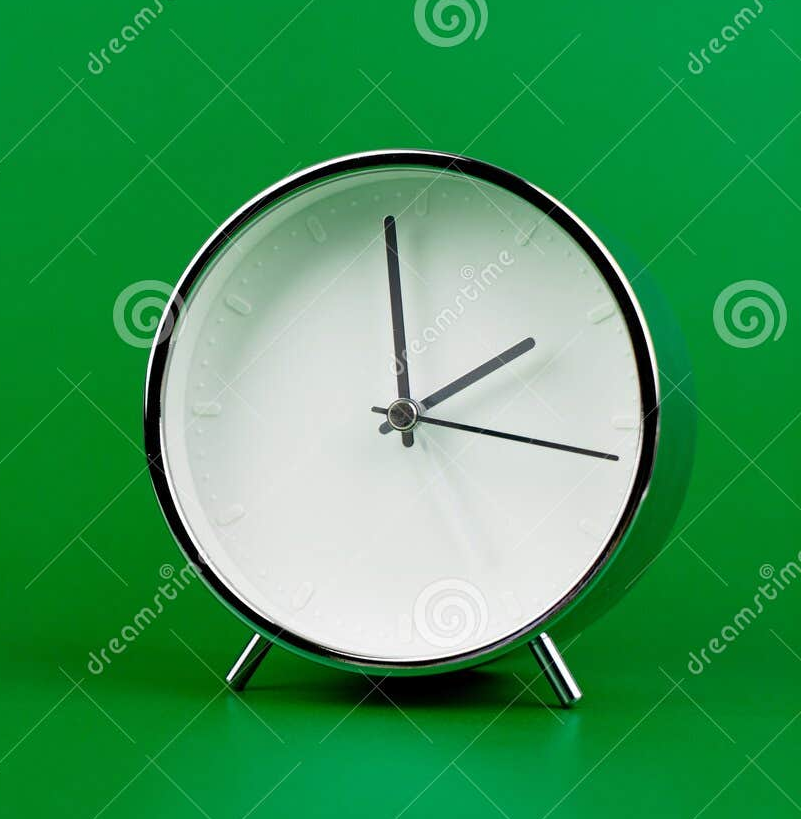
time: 1:59
